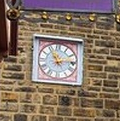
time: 11:13
